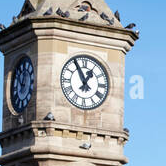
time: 12:55
